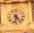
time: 6:23
